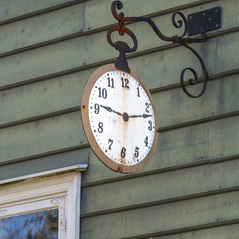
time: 9:12
